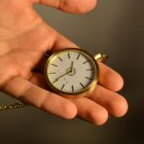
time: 12:40
